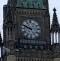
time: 9:48
